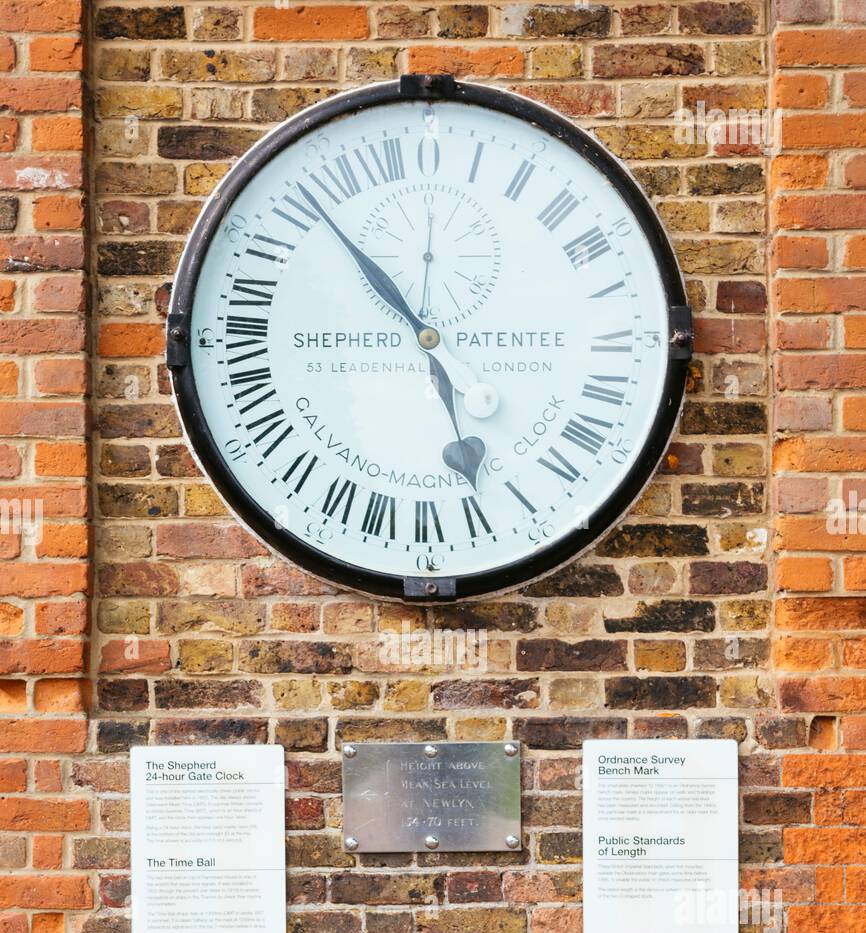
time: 4:52
